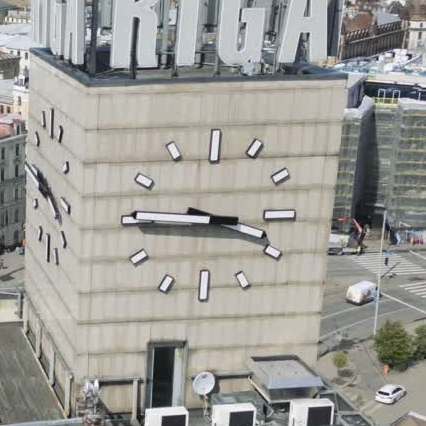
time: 3:45
